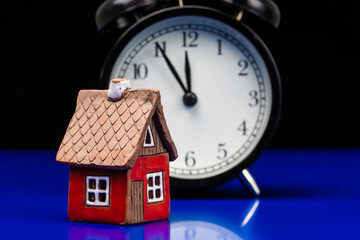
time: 11:54
